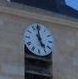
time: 4:58
